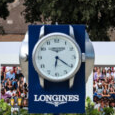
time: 6:20
